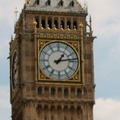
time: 1:13
